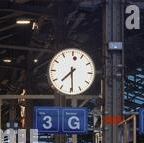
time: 7:29
